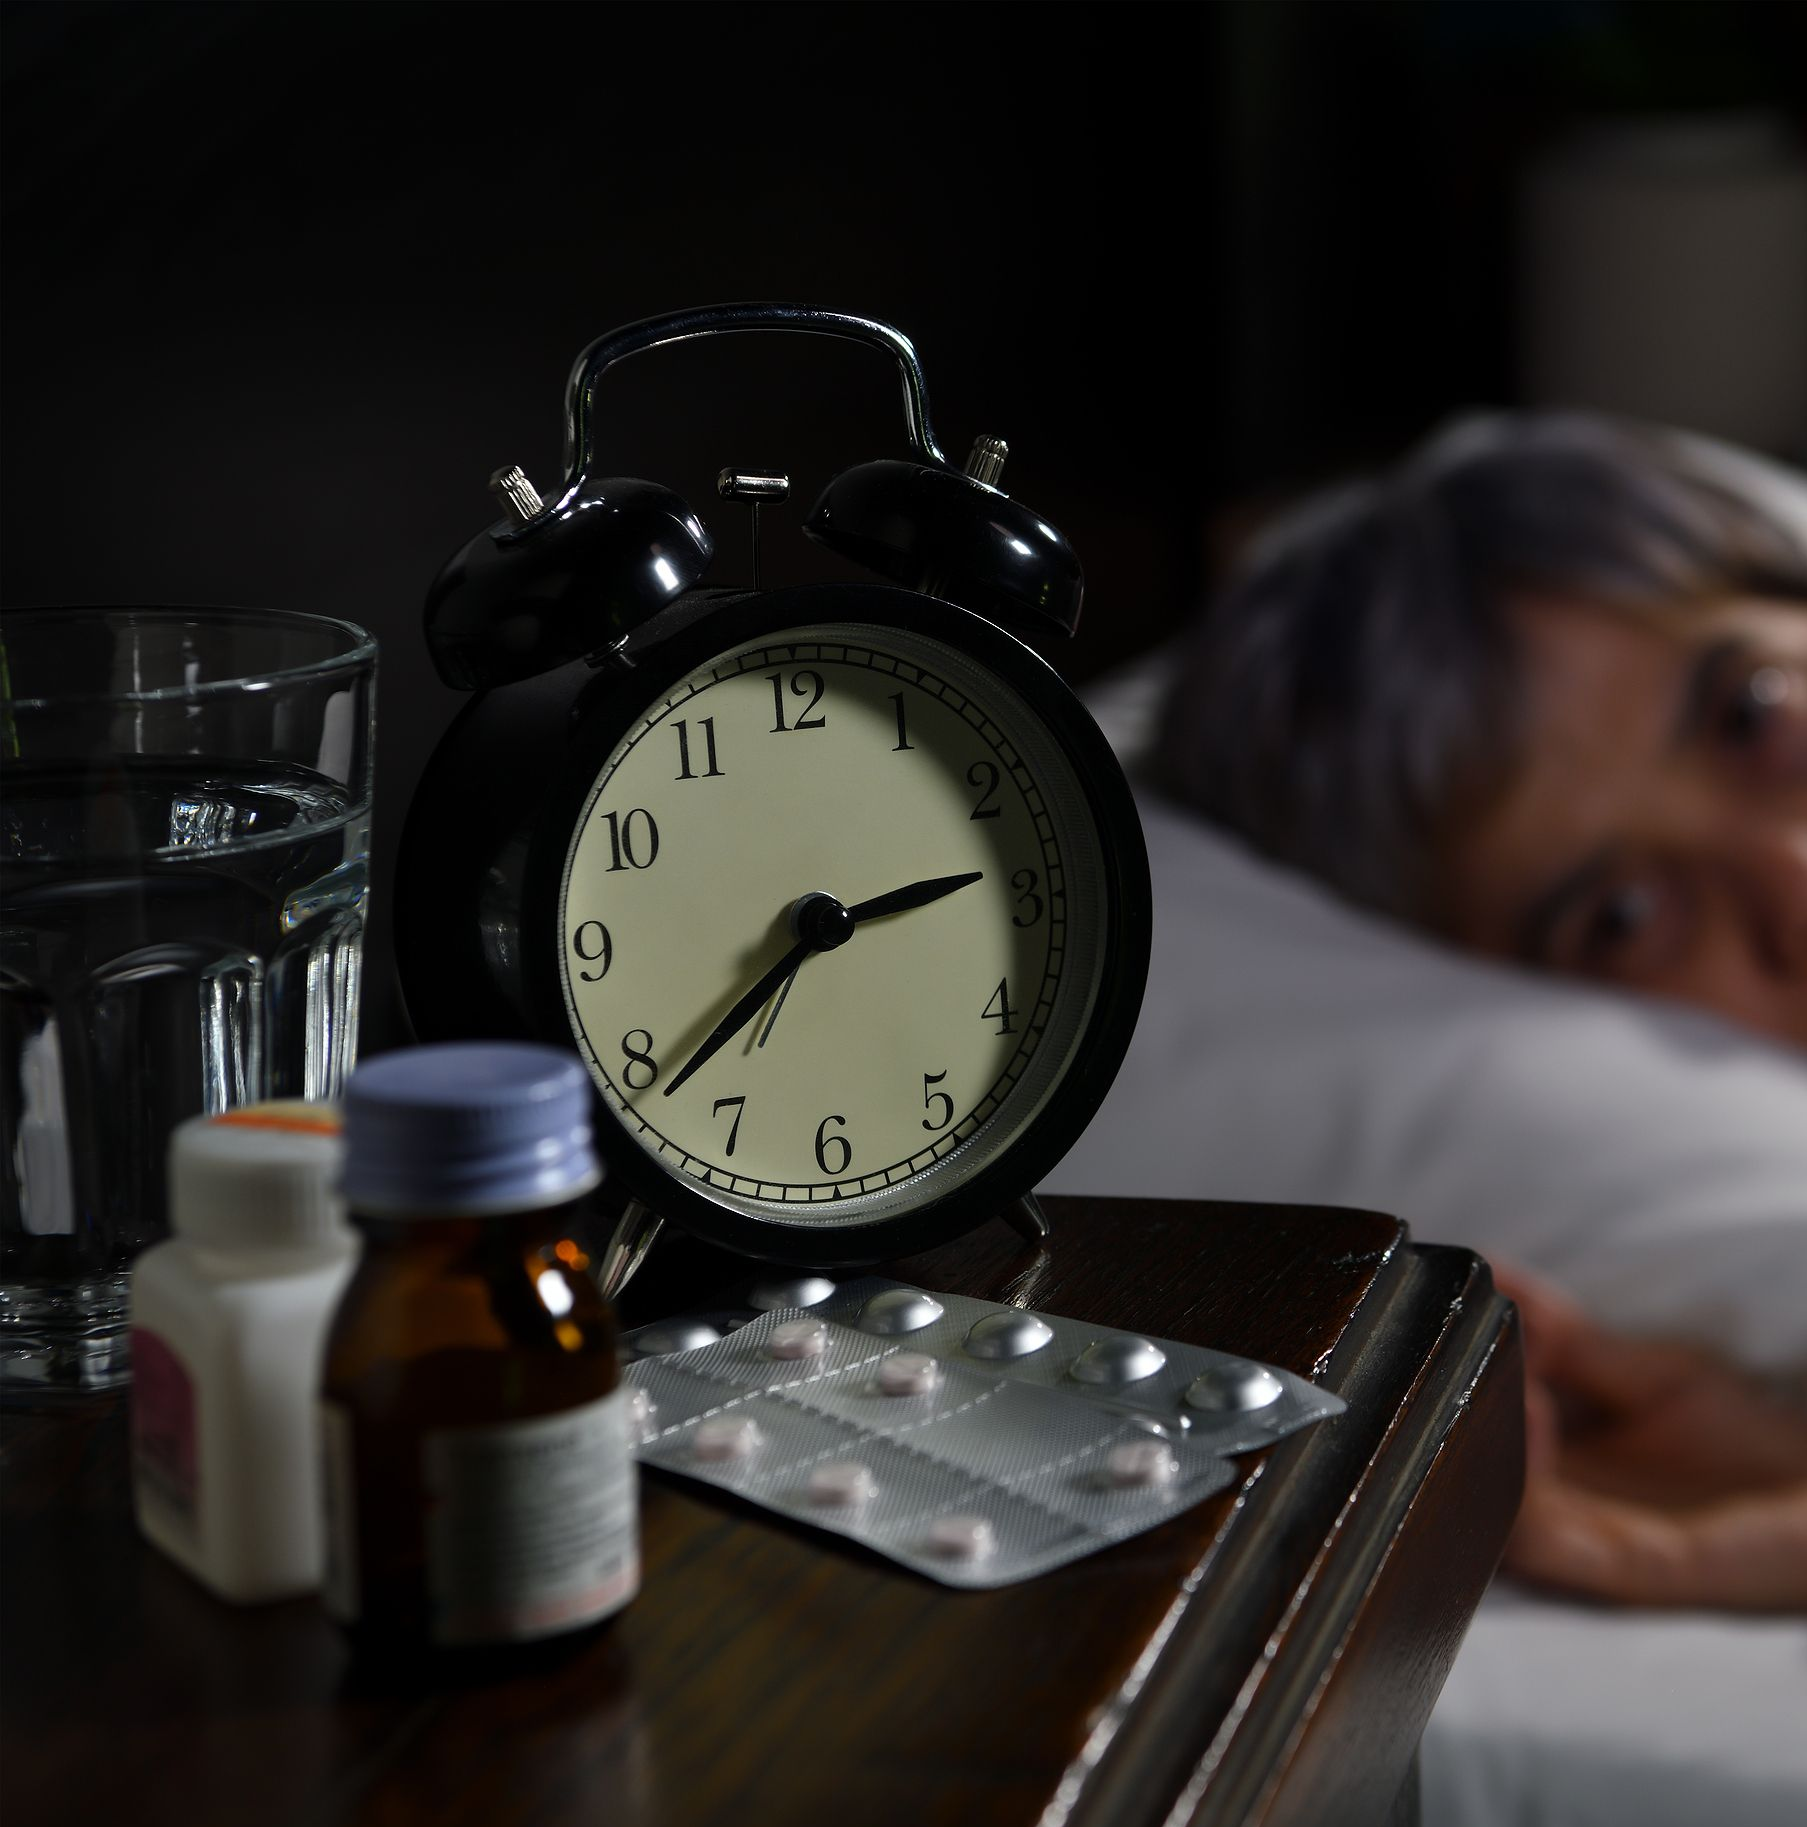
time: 2:38
